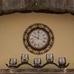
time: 10:00
